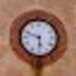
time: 5:48
